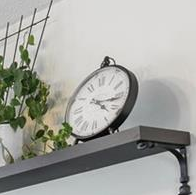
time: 4:16
